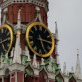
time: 5:15
